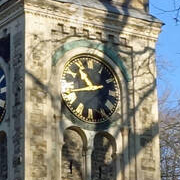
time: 10:42
